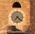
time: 7:21
